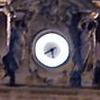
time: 5:40
